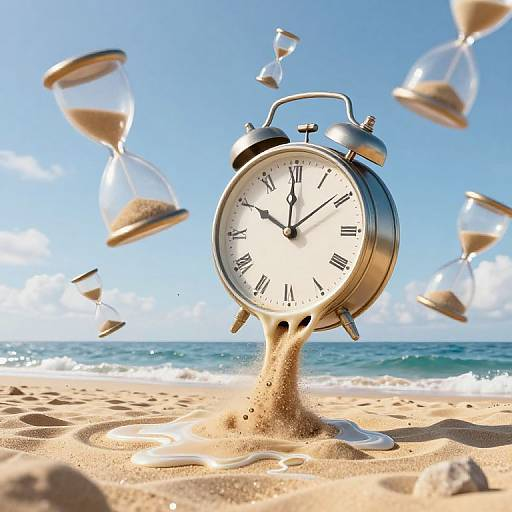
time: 10:00
